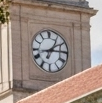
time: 1:14
